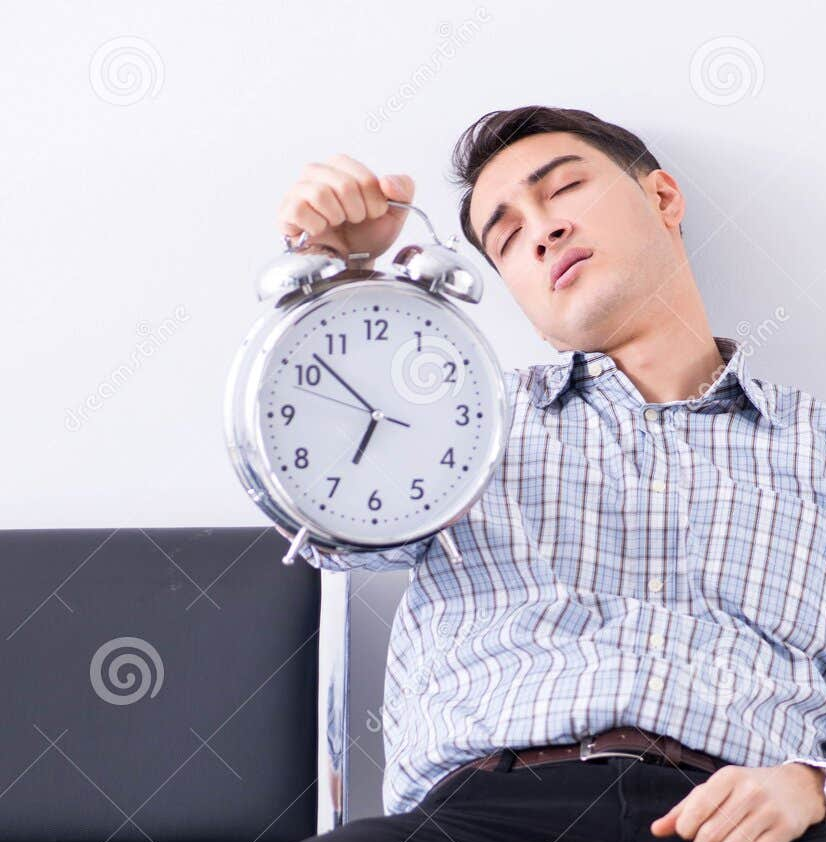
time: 6:52
